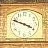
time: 3:48
